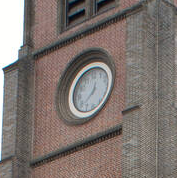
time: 12:37
